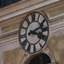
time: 2:18
